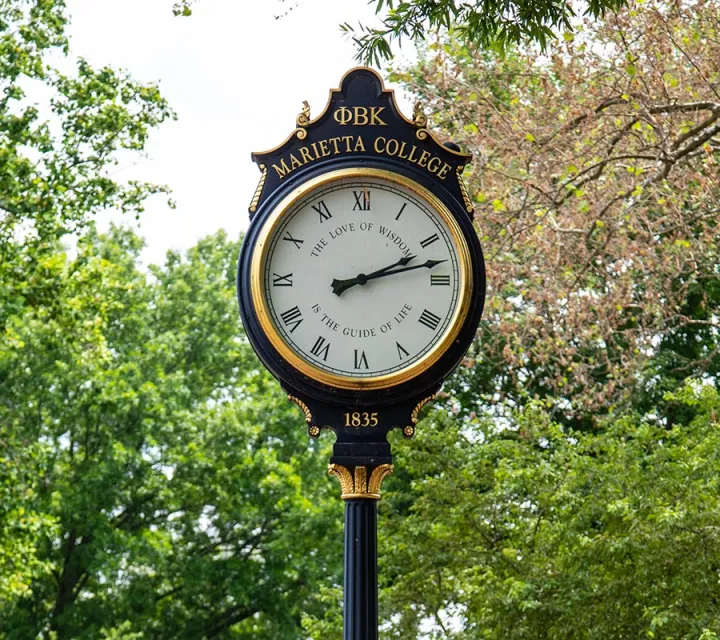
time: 2:12
